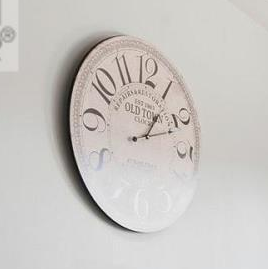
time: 1:11
